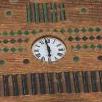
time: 5:58
